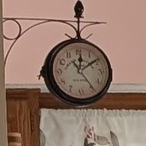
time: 12:09
